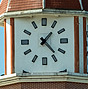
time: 1:22
